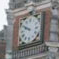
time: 9:50
